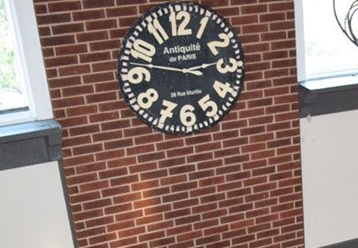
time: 2:47
